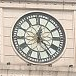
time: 12:23
